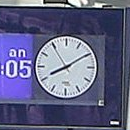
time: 8:09
